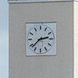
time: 2:38
